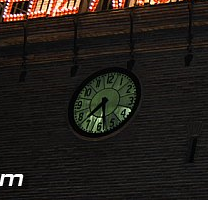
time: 7:28
